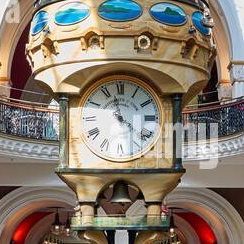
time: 3:57
